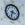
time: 3:32
